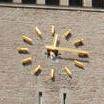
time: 12:16
